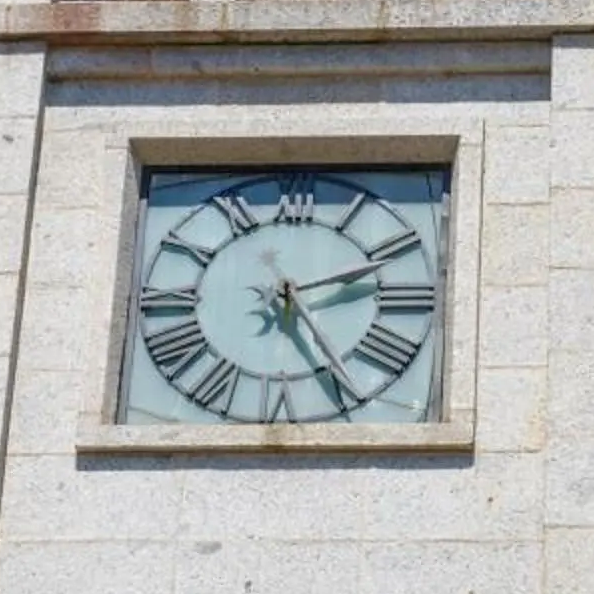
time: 2:25
